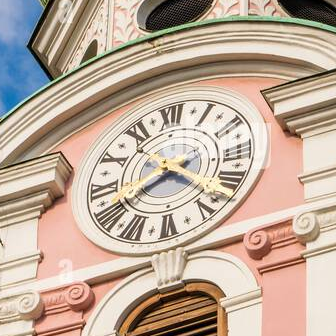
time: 4:40
